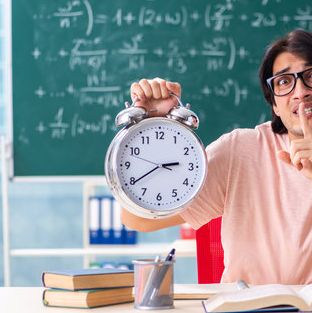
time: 2:39
